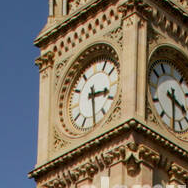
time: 3:29
